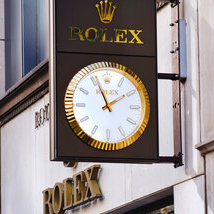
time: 1:56
